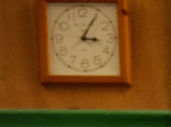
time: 3:05
